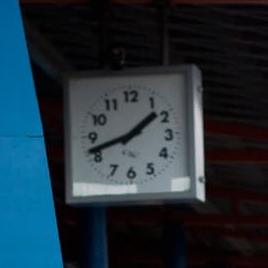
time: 1:41
